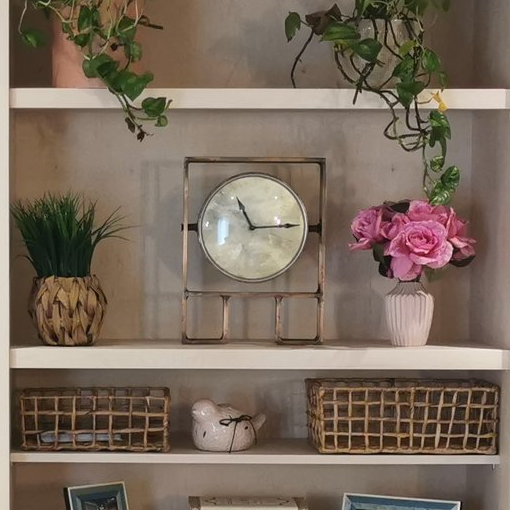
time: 11:14
